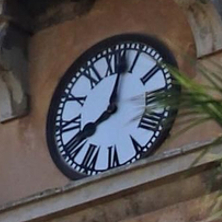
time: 8:03
